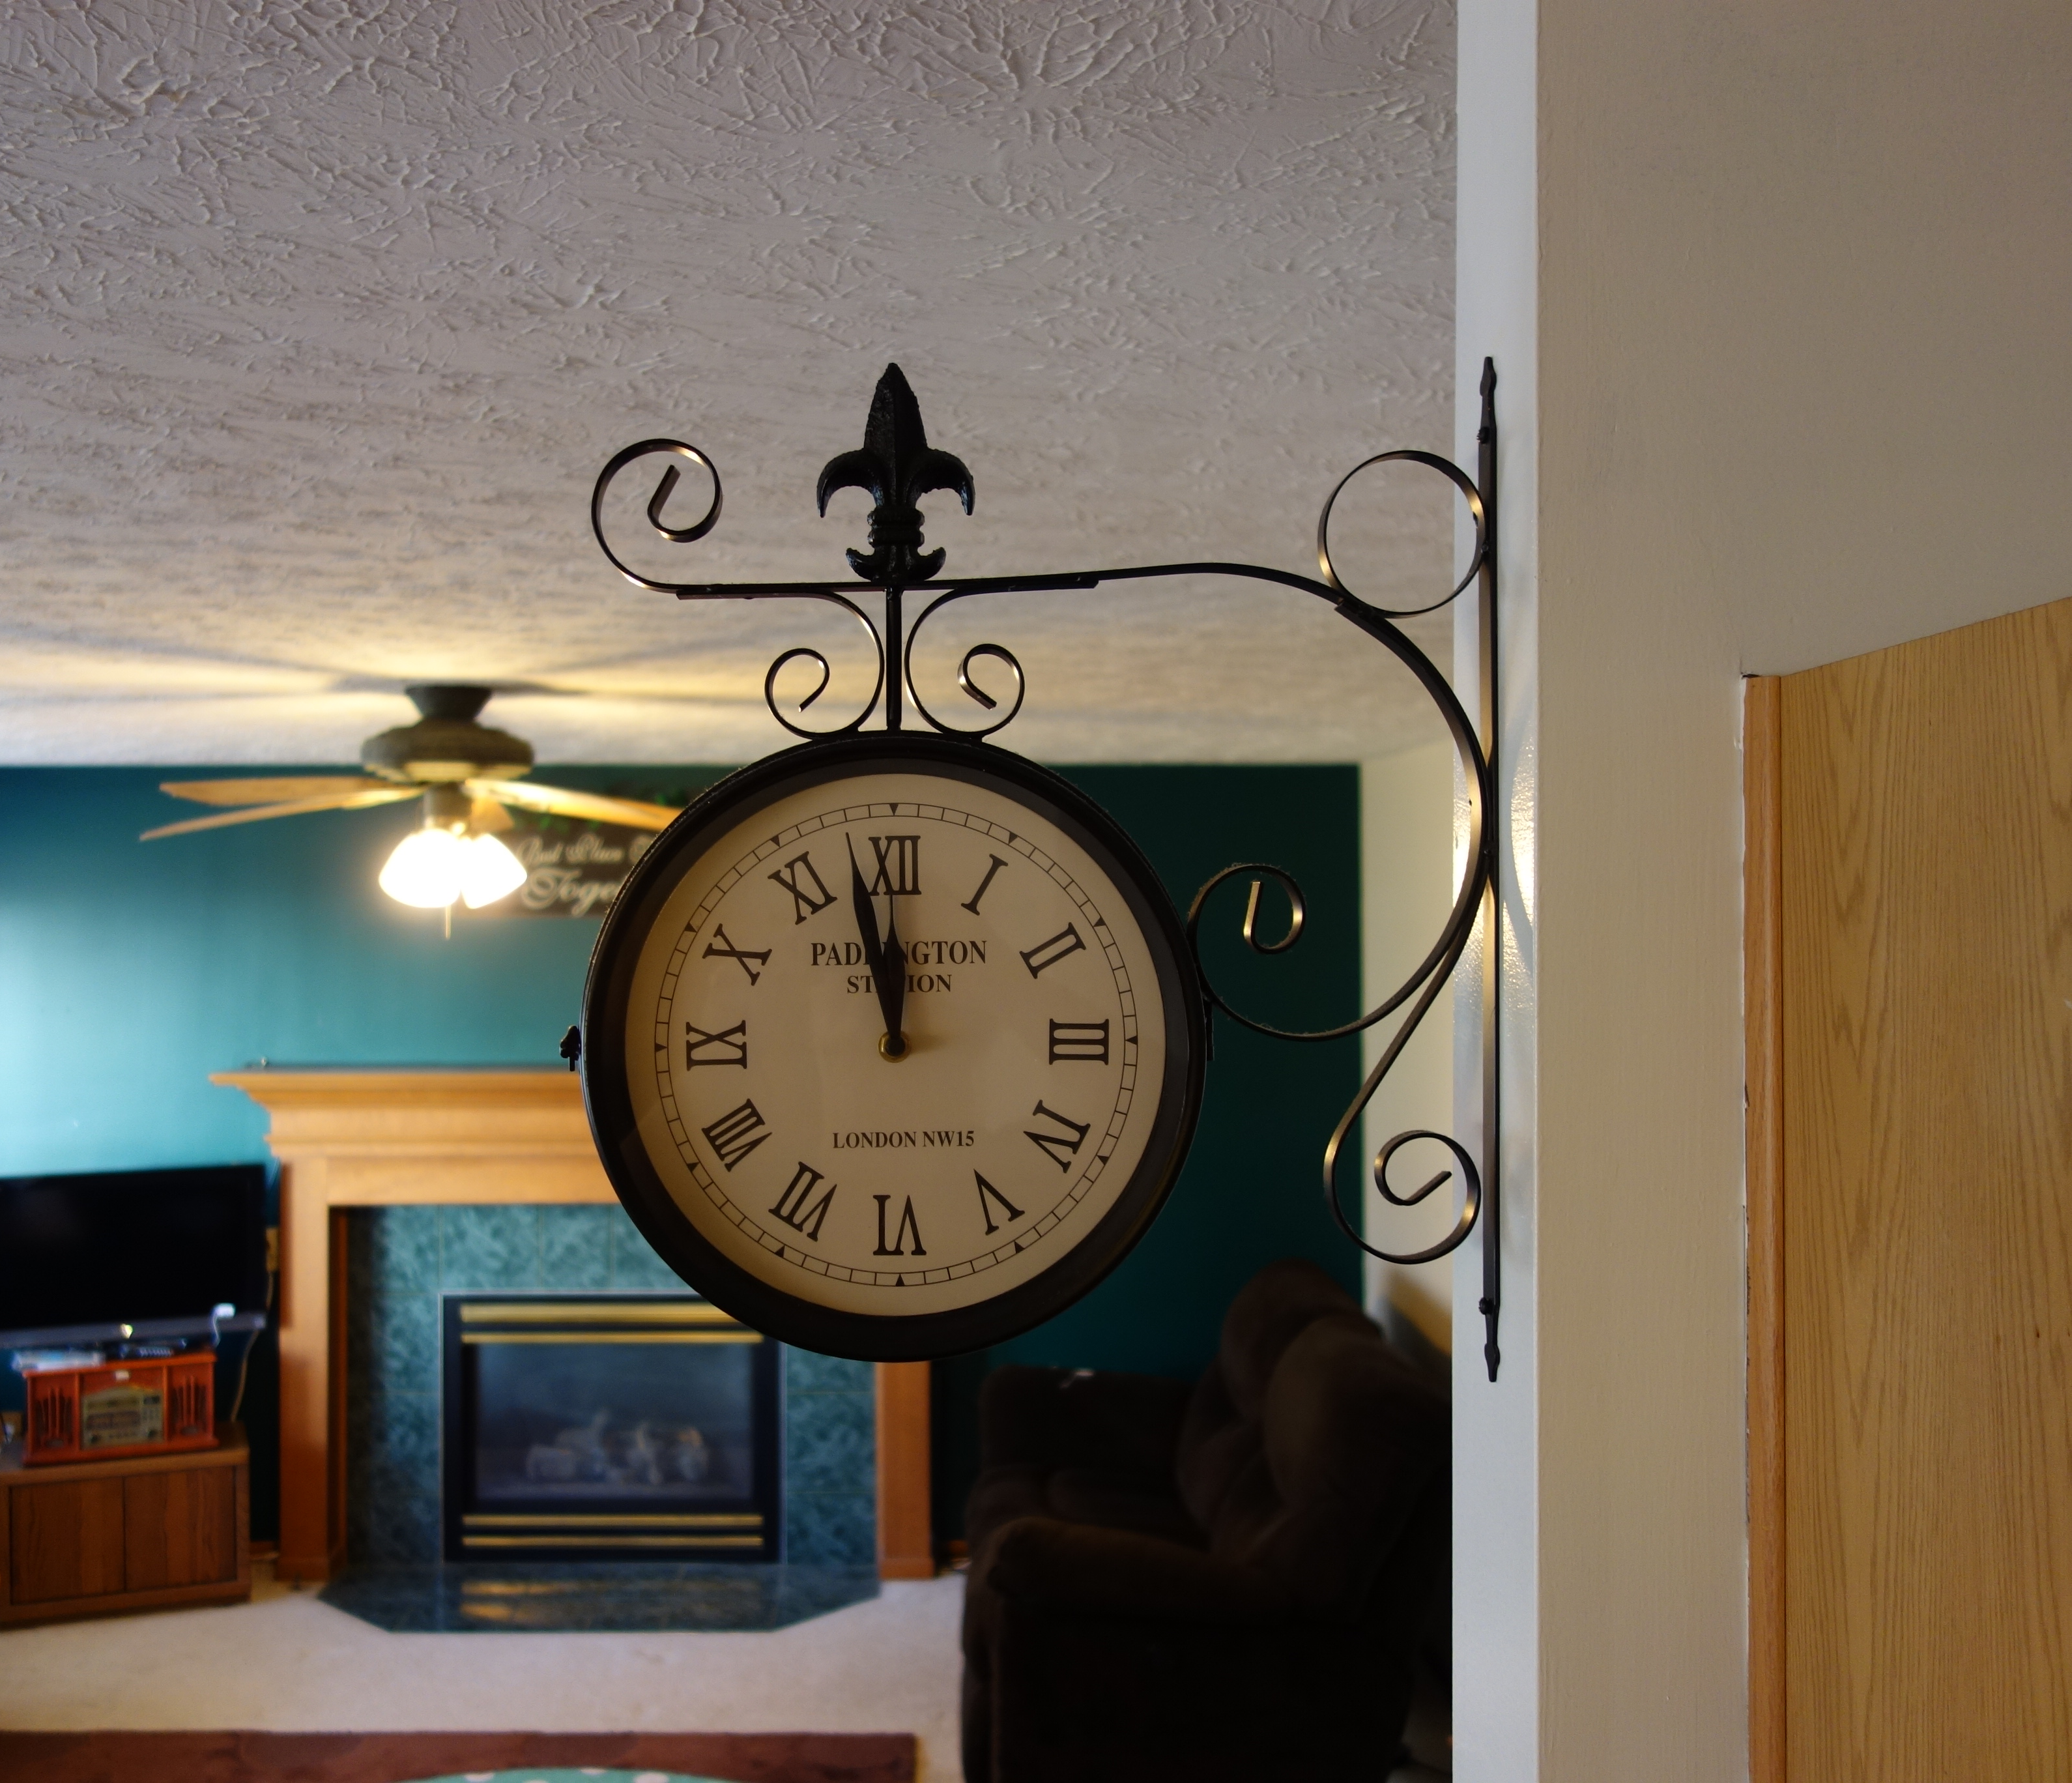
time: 11:57
